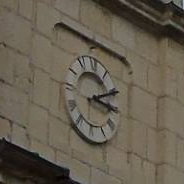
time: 3:10
